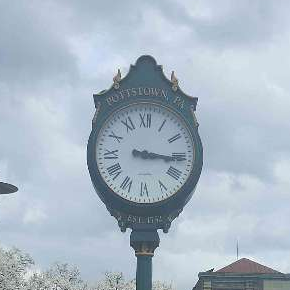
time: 3:15
